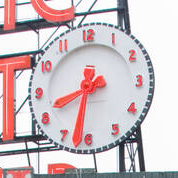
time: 8:32
